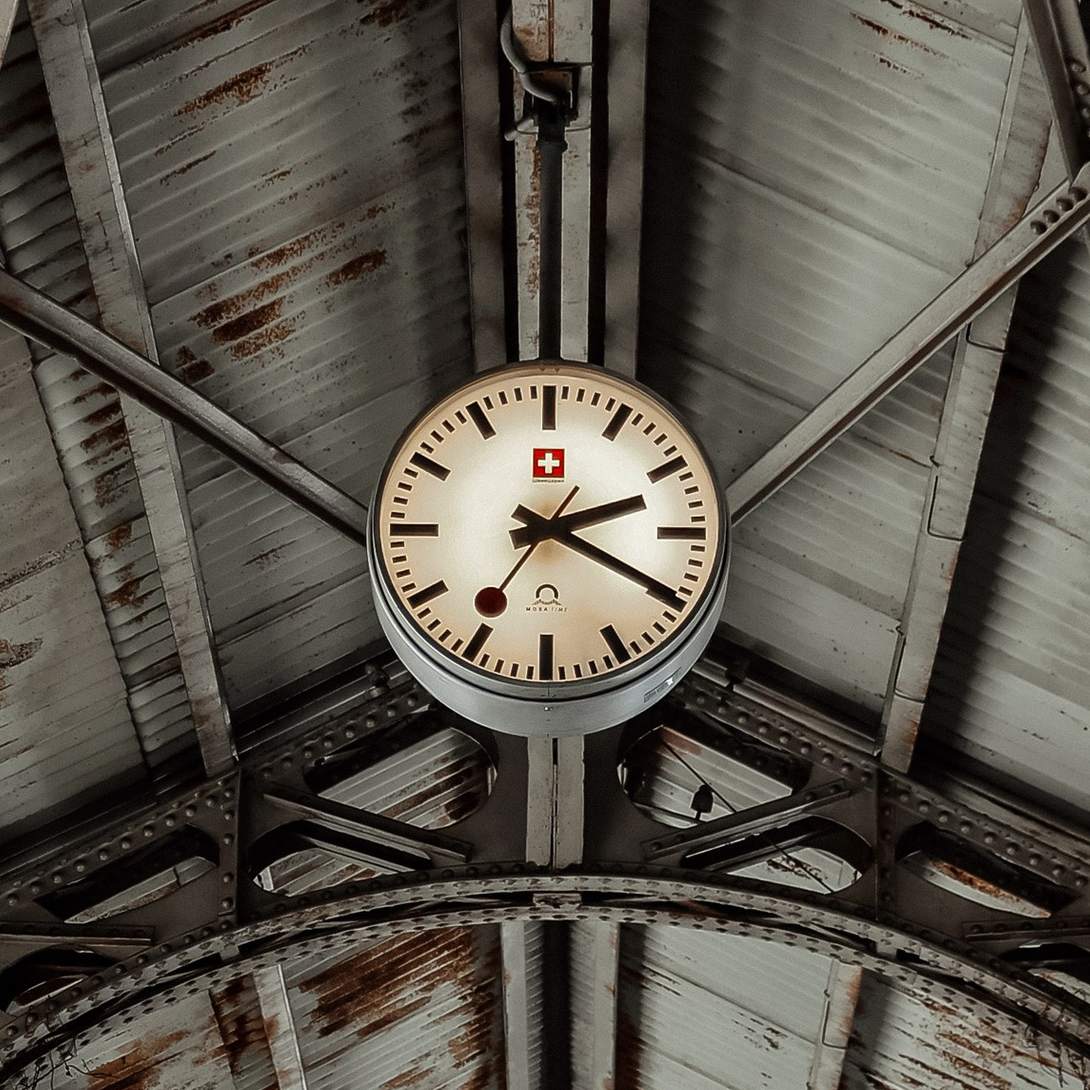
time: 2:19
